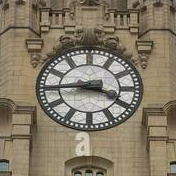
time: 3:44
